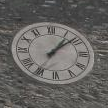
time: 1:08
